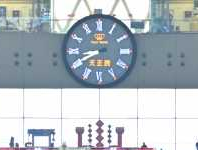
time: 8:40
